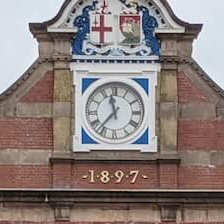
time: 11:36
